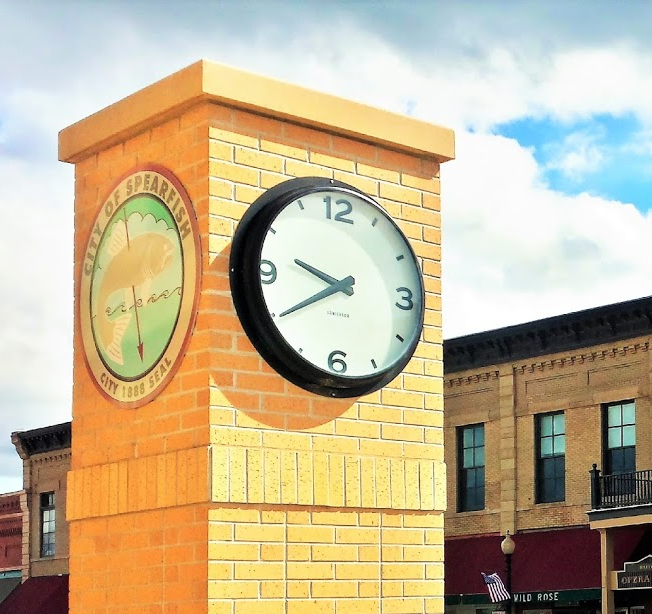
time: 9:40
